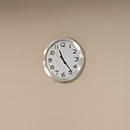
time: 11:23
